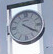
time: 4:20
